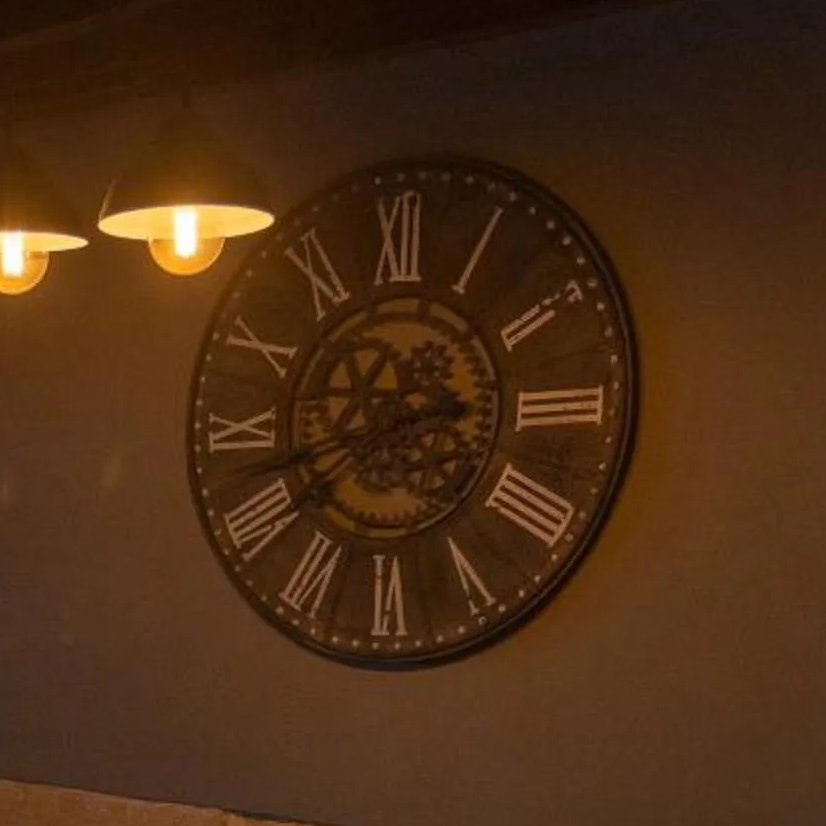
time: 2:41
